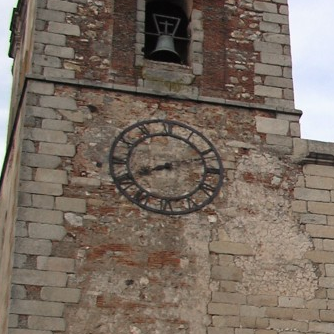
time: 8:12
